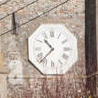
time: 10:37
